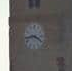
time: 3:43
